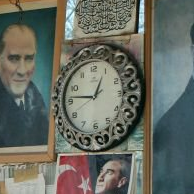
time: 12:46
